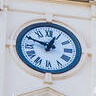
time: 12:49
